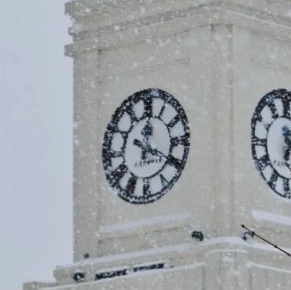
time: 12:19
